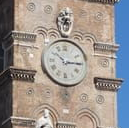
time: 10:14
